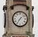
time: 7:07
